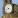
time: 10:42
